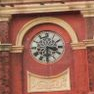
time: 3:30
